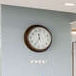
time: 11:34
